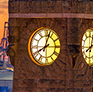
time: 8:03
